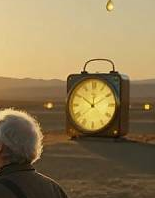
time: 11:50
